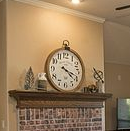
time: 4:18
